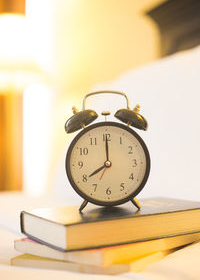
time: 8:00
